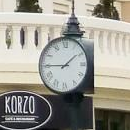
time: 1:45
